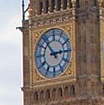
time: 2:53
